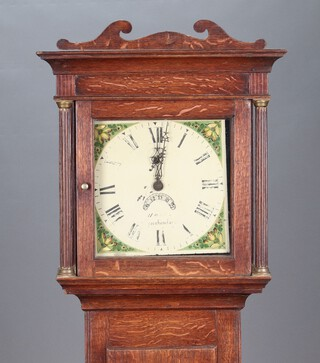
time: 12:01
